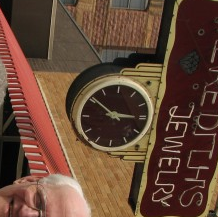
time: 2:51
